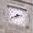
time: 2:40
